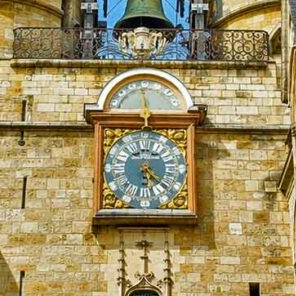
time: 5:21
